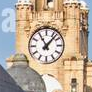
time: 11:07
